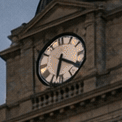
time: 6:20
